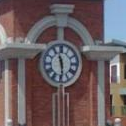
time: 11:29
